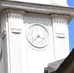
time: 3:37
